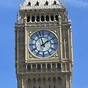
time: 1:57
